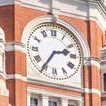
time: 2:35
